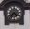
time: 4:37
